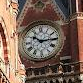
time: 10:14
